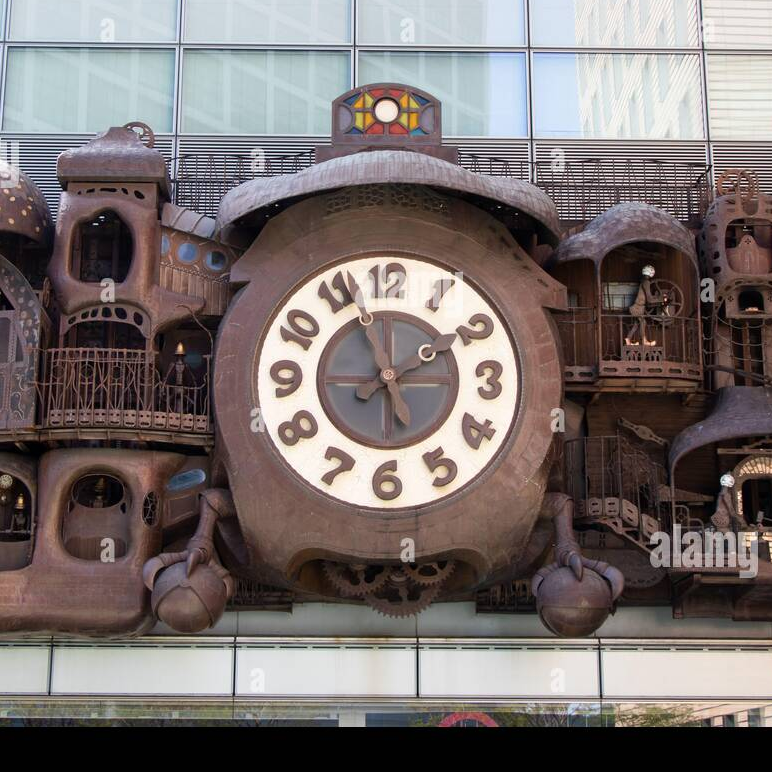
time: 1:56
